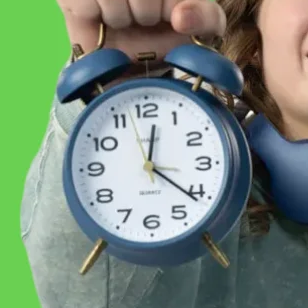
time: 12:21
